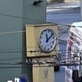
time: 12:07
